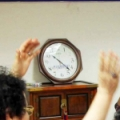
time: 10:22
